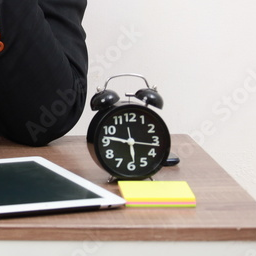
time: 5:46
